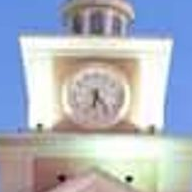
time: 6:23
